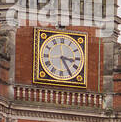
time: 3:24
